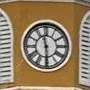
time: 11:29
